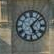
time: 5:07
